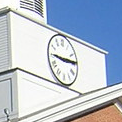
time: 2:45
